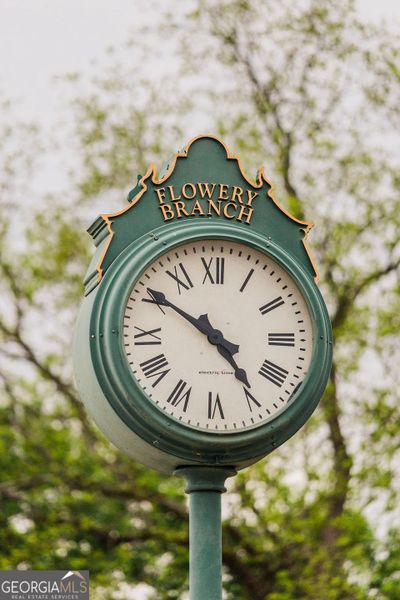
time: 4:50
